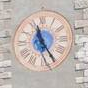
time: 11:24
